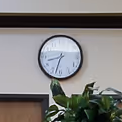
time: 8:32
